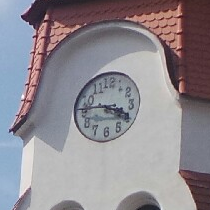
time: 3:46
